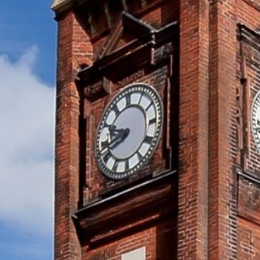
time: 9:42
